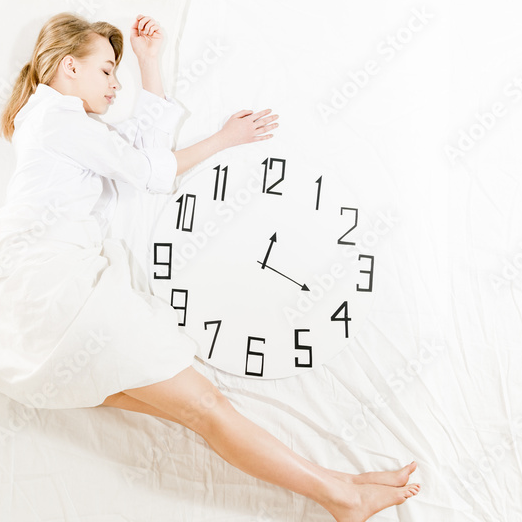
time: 12:19
